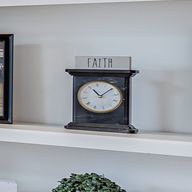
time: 11:09
